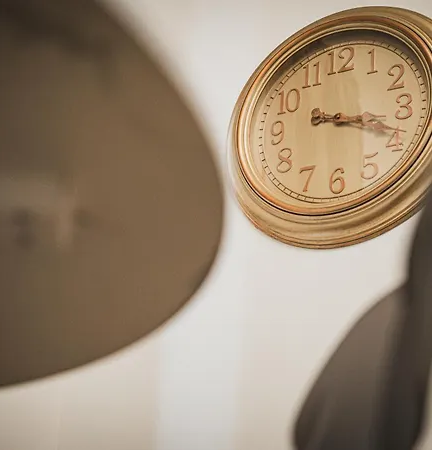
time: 3:18
